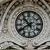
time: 10:39
